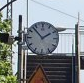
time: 1:52
